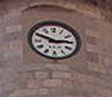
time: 2:48
